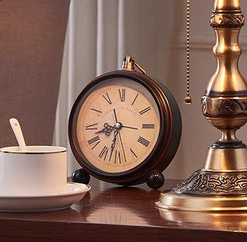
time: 8:32
